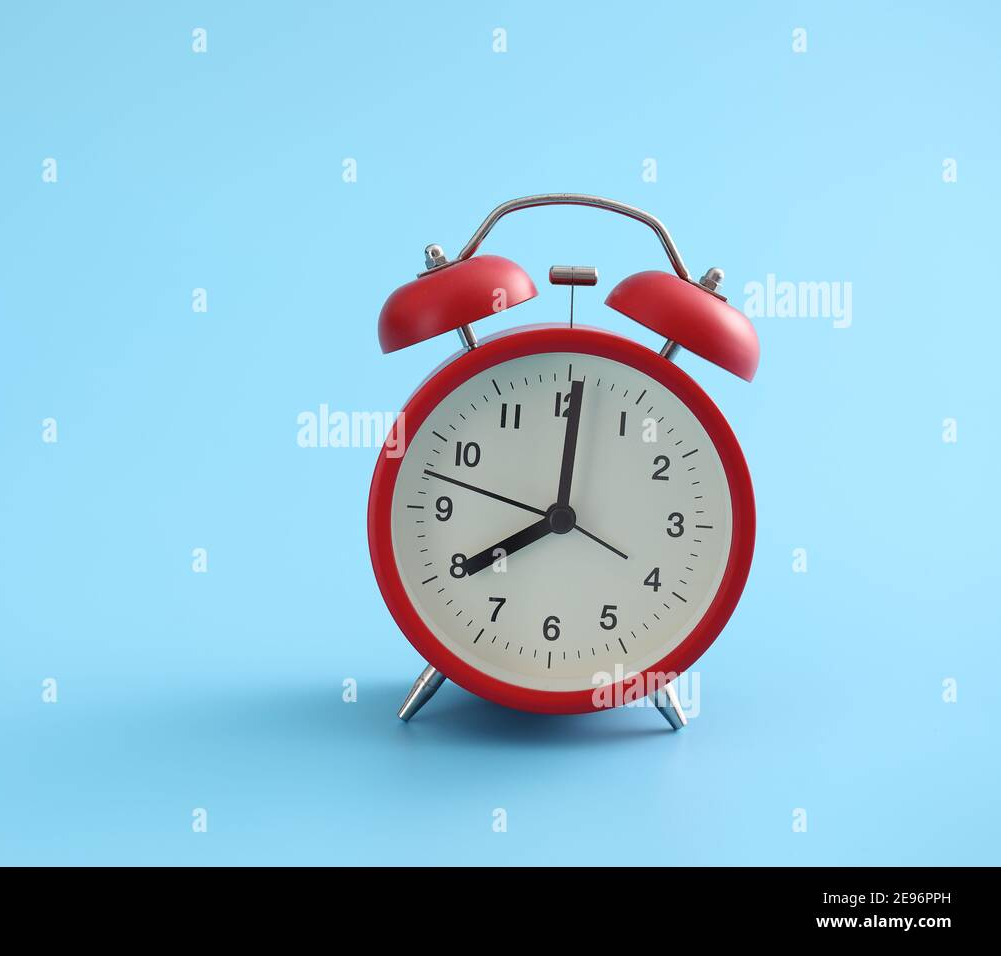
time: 8:00
